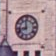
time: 11:42
